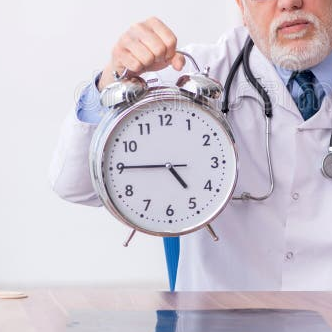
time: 4:45
